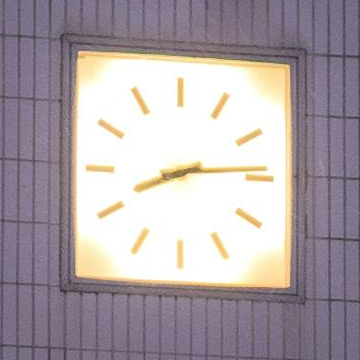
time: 8:14
